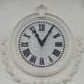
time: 11:05
